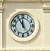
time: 11:55
